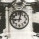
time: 9:01
